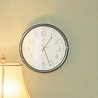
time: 1:26
